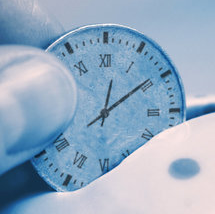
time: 12:09
